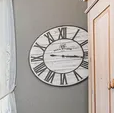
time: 3:16
